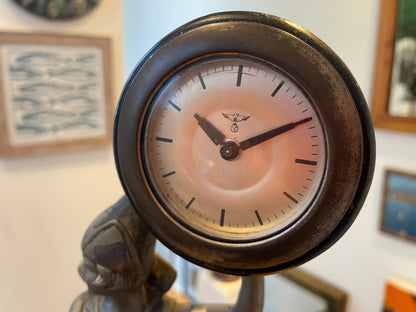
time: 10:10
